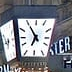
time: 6:54
